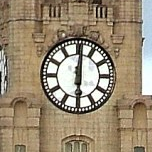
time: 6:00
